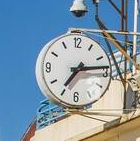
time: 7:13
